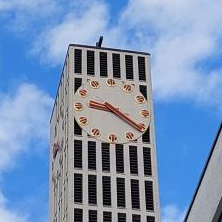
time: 9:20
